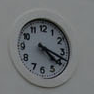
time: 4:18
